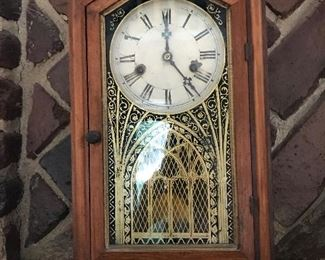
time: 4:00
